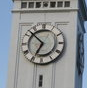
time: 6:52
